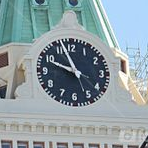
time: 9:56
